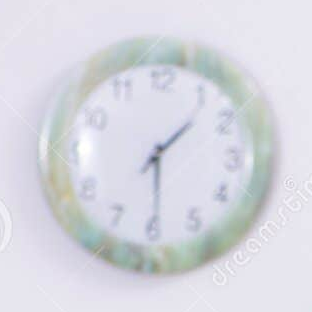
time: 1:29
